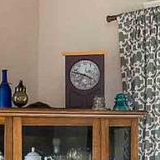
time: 3:47
